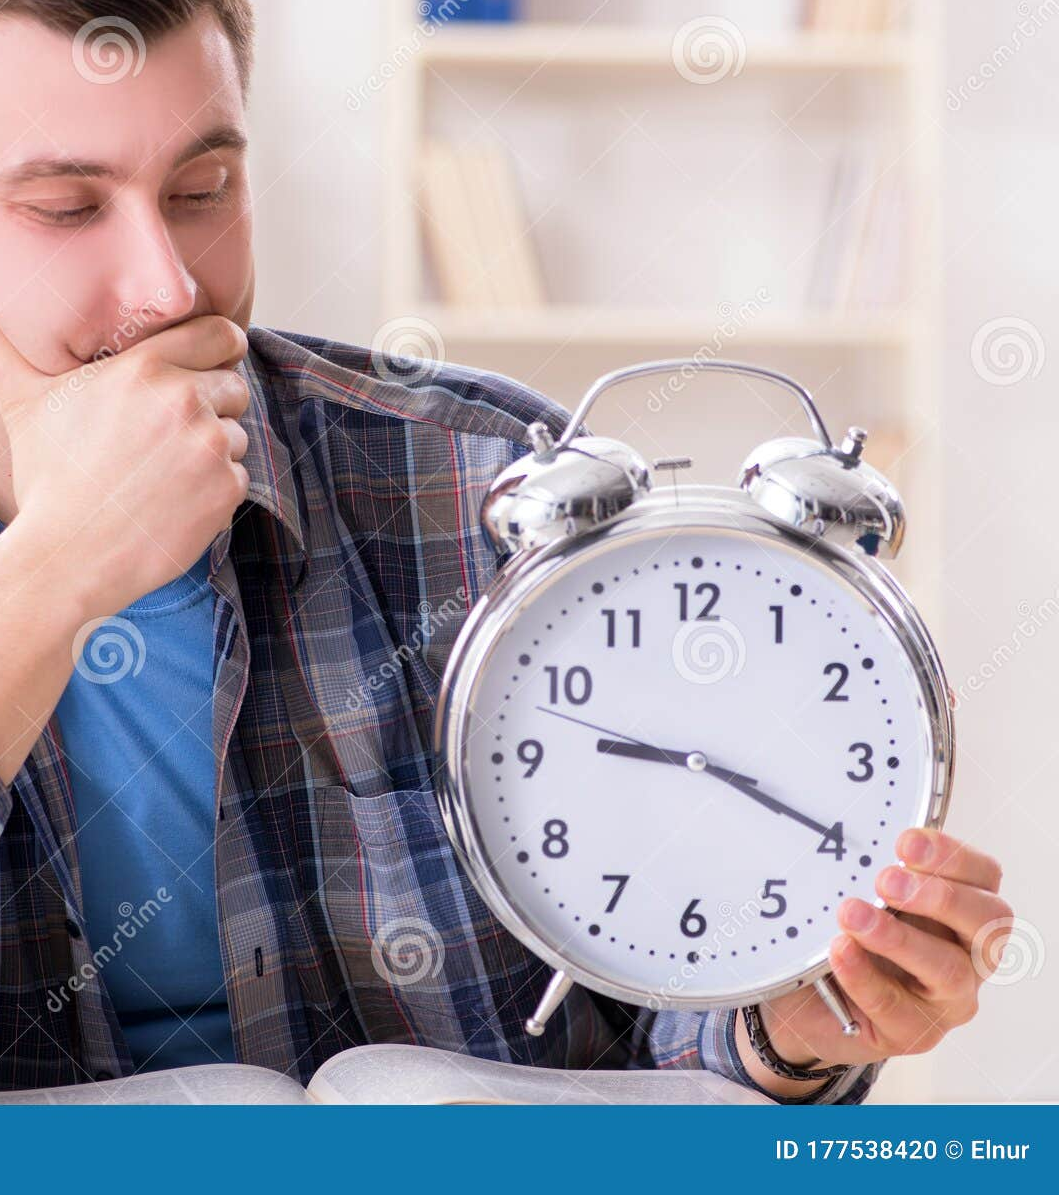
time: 9:19
